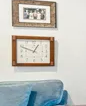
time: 12:49
